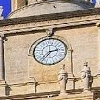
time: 2:36
